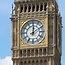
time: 12:09
